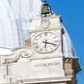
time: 6:18
